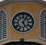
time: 5:05
